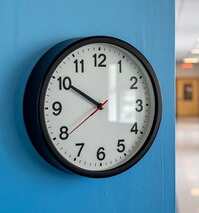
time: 9:50
